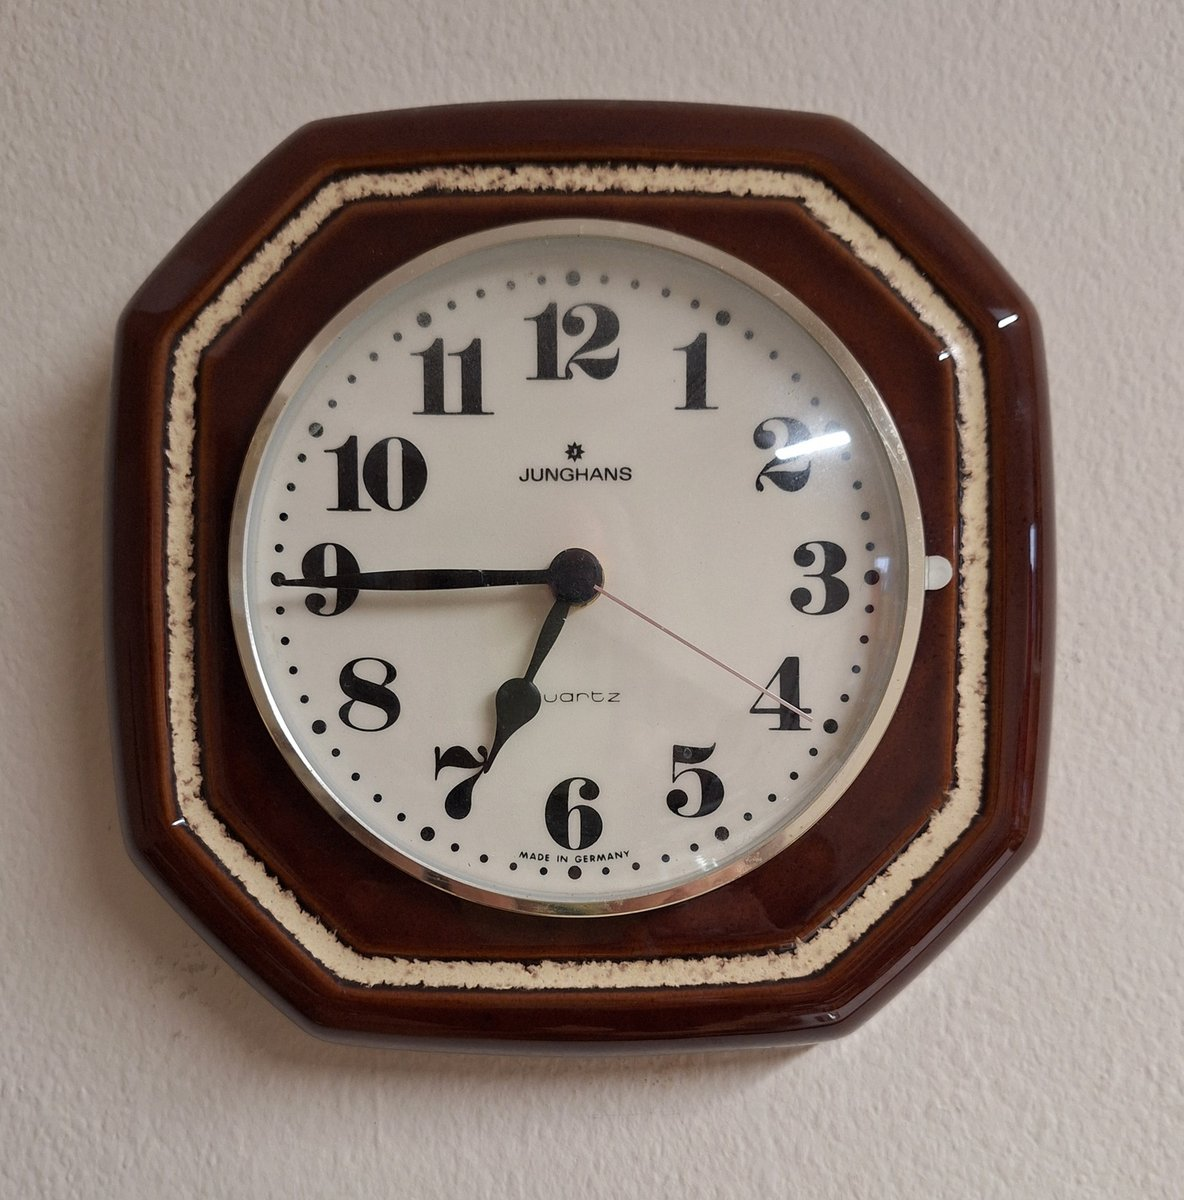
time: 6:44
